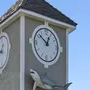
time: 12:51
